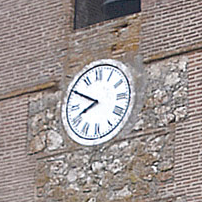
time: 7:49
